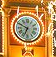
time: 6:49
